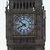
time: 7:51
